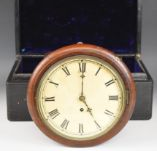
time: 5:00
